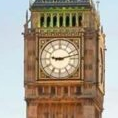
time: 9:12
